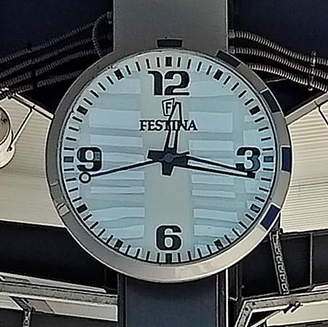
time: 12:16
